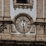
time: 12:28
